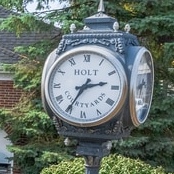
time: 2:35
